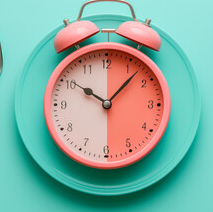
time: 10:07
